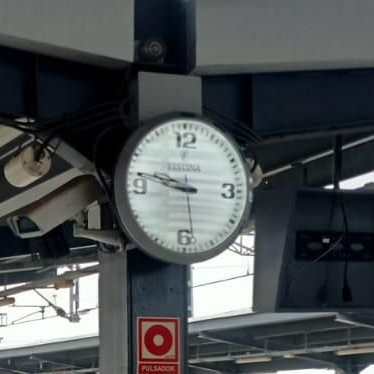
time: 9:47
